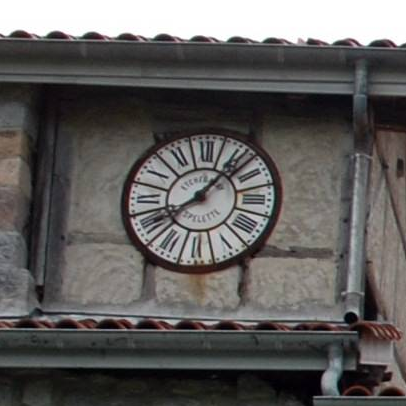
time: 8:07
